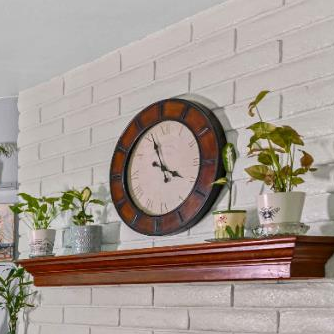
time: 3:56
